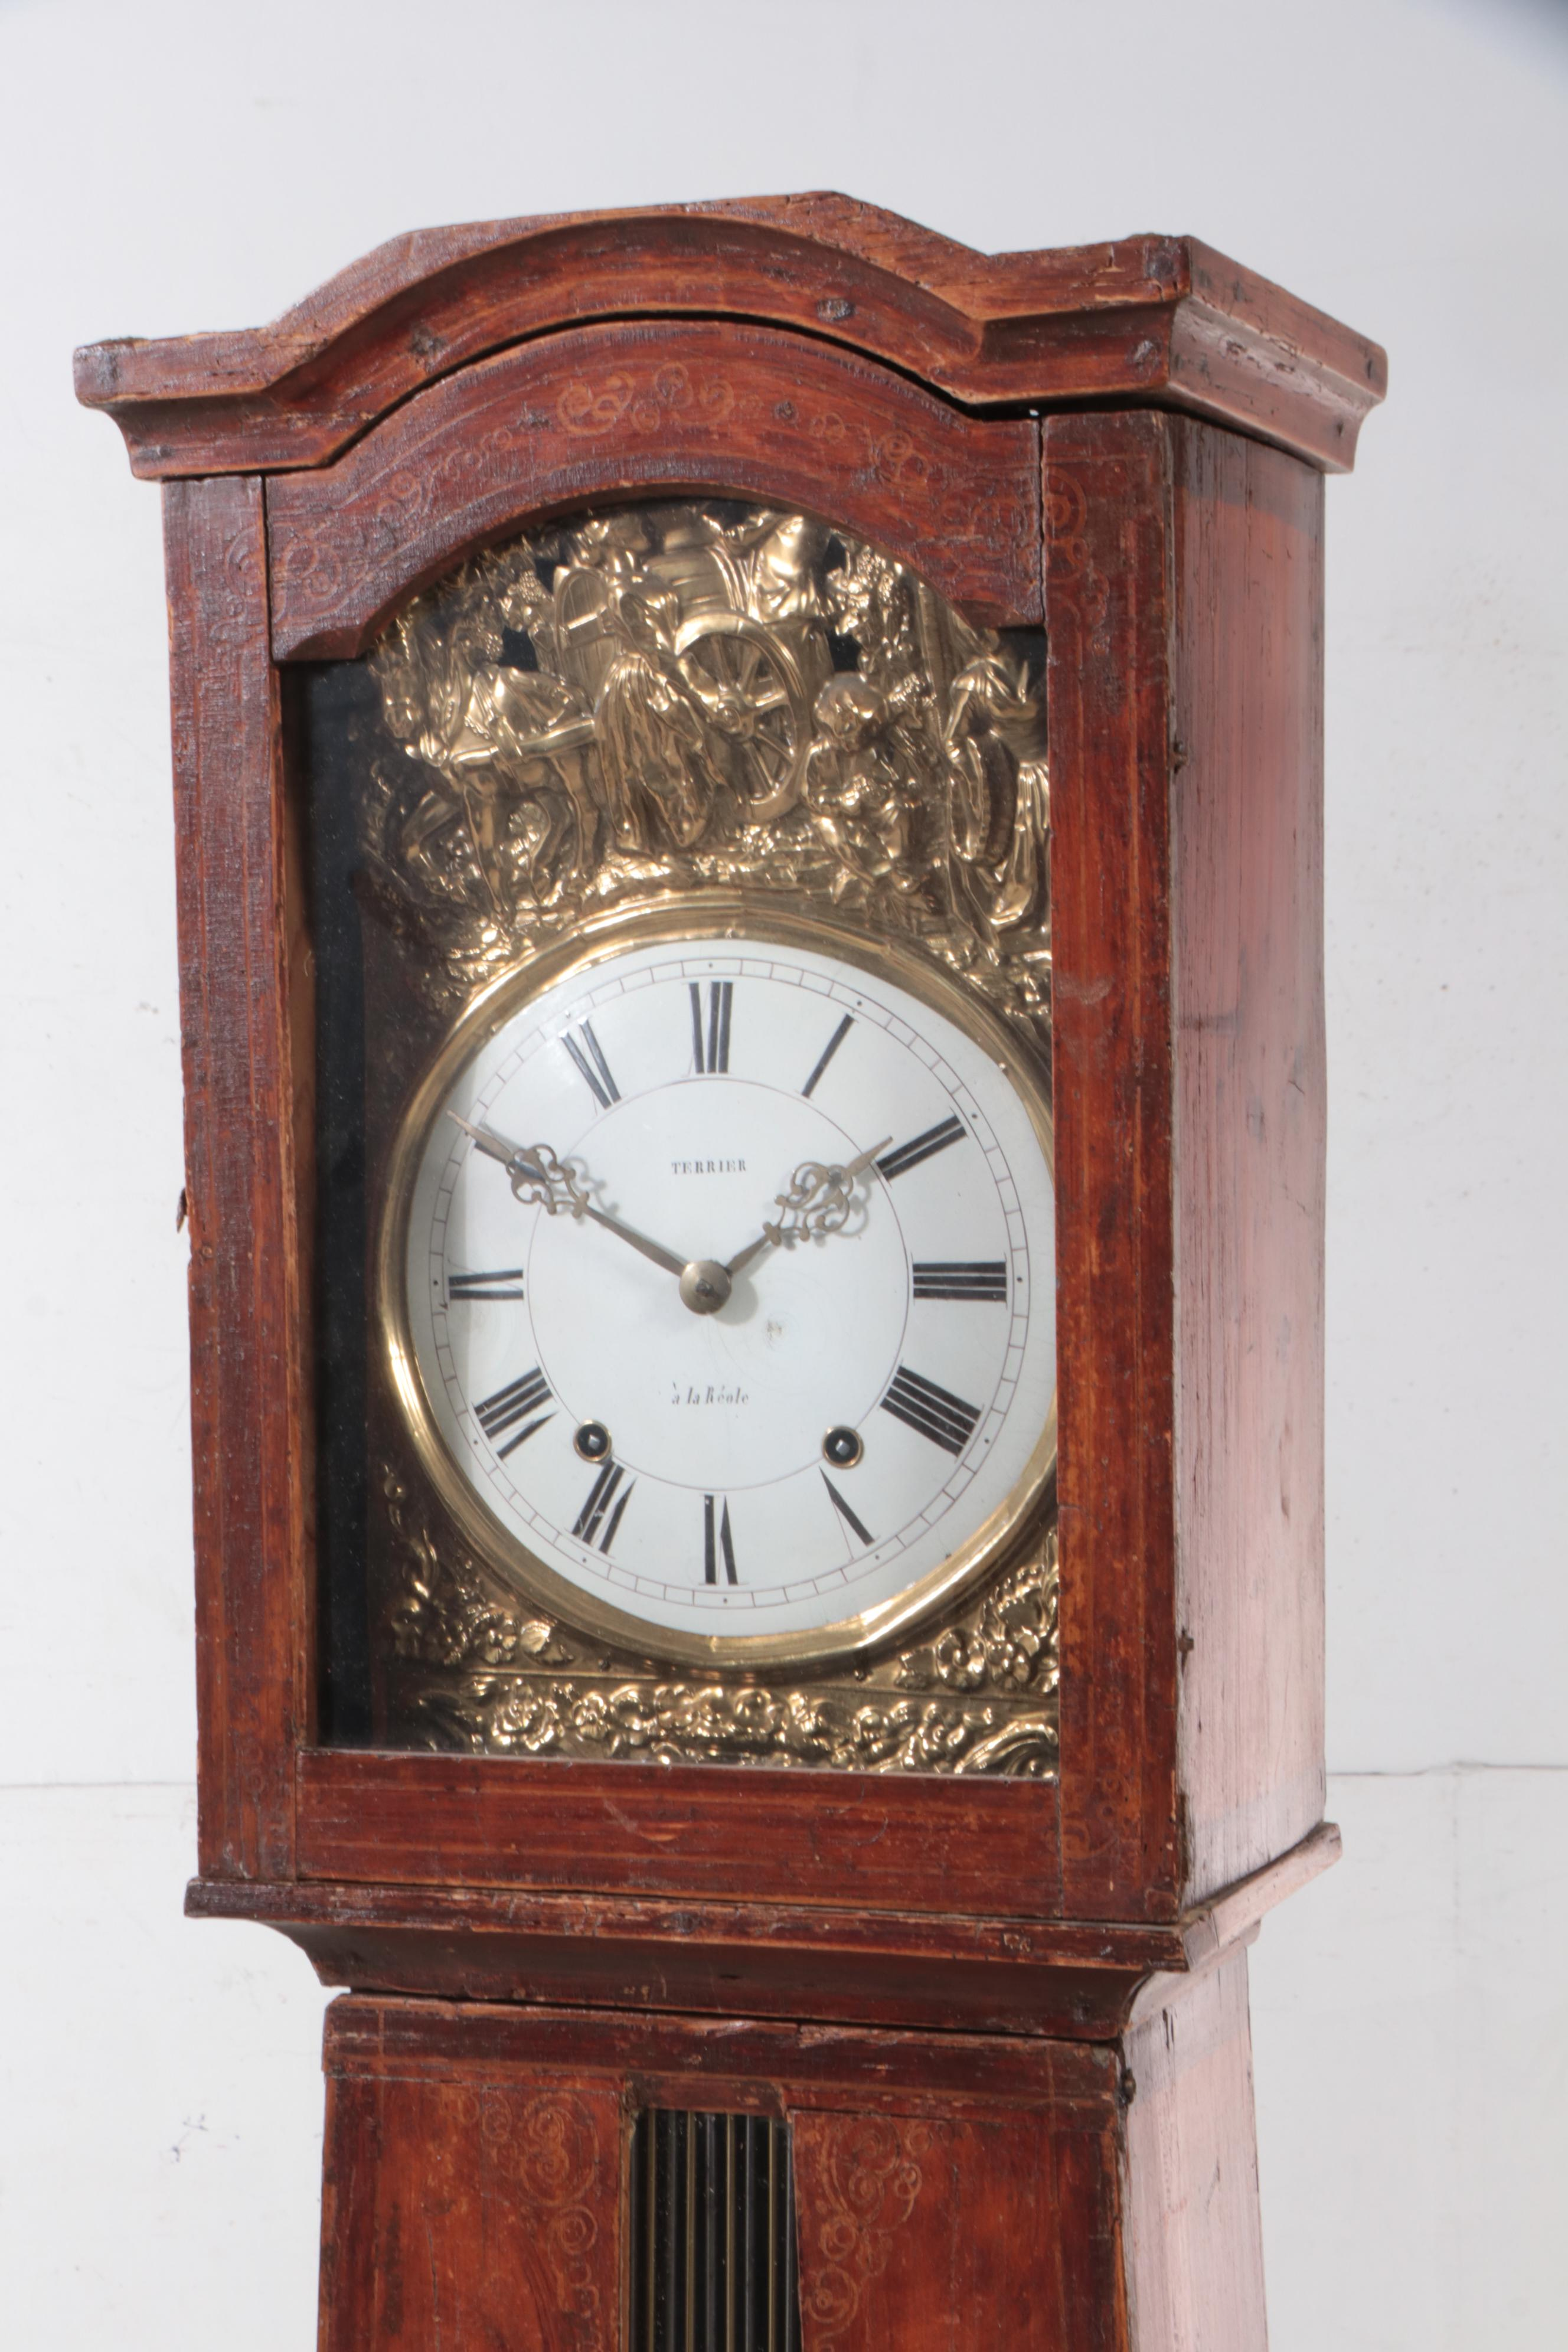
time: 1:49
